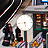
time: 5:43
